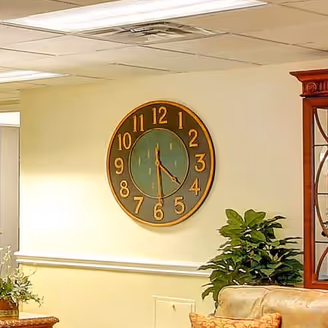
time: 4:29
